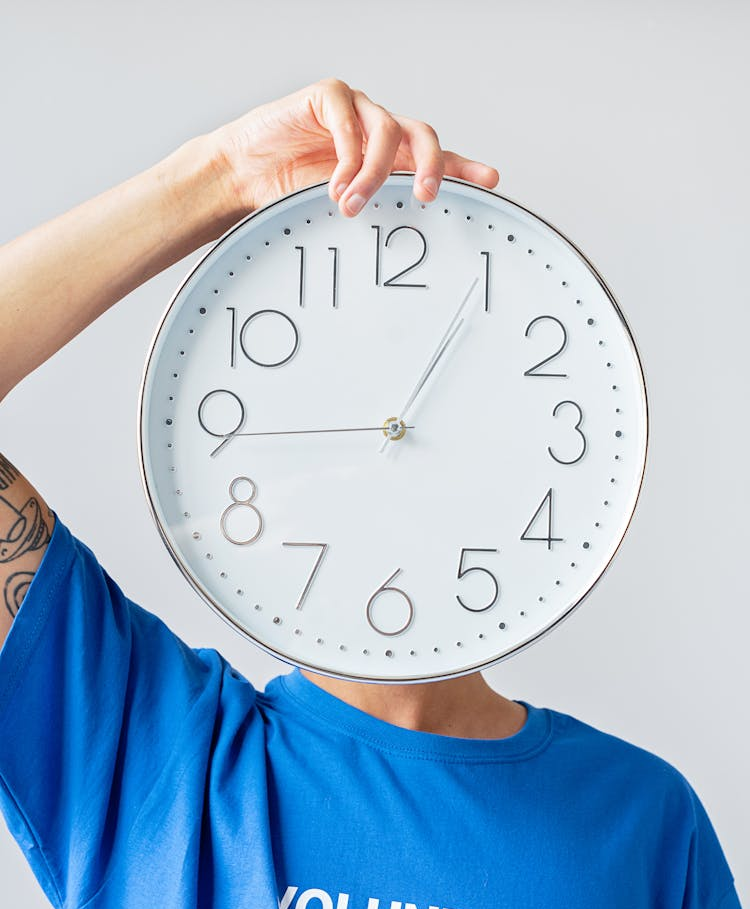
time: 1:05
